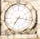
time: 7:17
